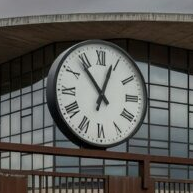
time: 12:53
